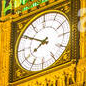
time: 7:50
